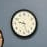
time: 9:26
